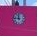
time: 11:46
